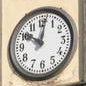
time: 10:01
